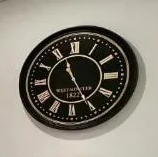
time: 11:25
